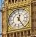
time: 12:24
